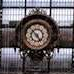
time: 4:52
